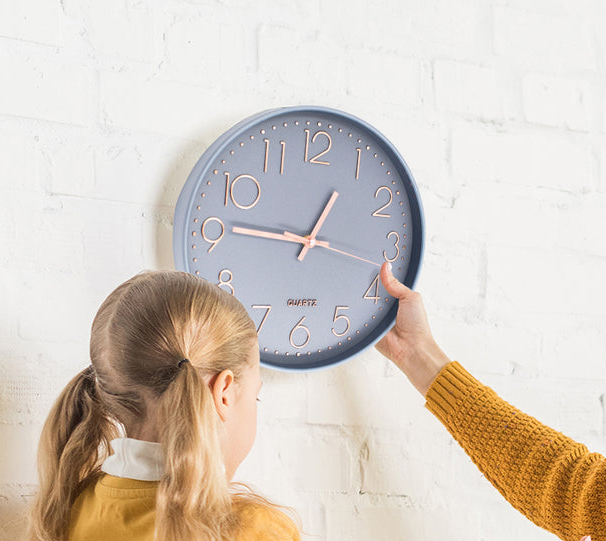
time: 12:46
